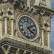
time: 4:10
